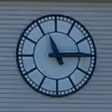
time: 11:14
